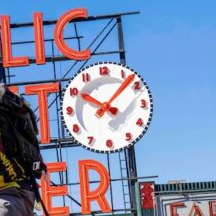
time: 10:07
